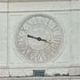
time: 9:17
